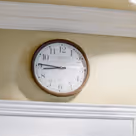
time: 8:45
